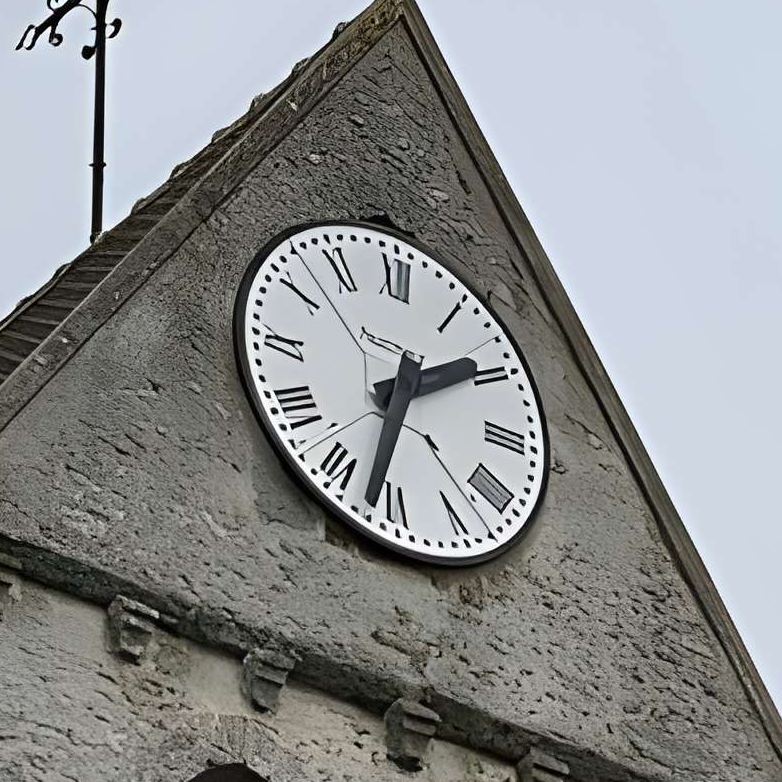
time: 1:32
